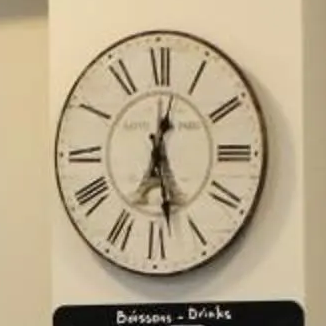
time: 12:28
